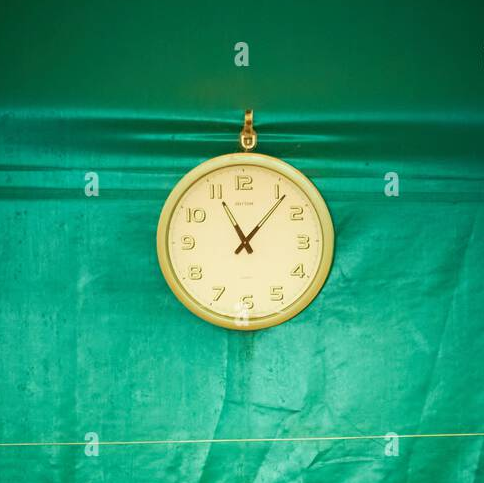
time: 11:06
